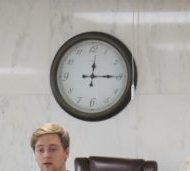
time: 12:15
